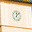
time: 12:07
